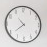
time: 10:39
